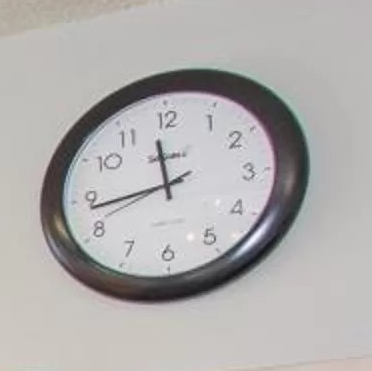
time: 11:43
